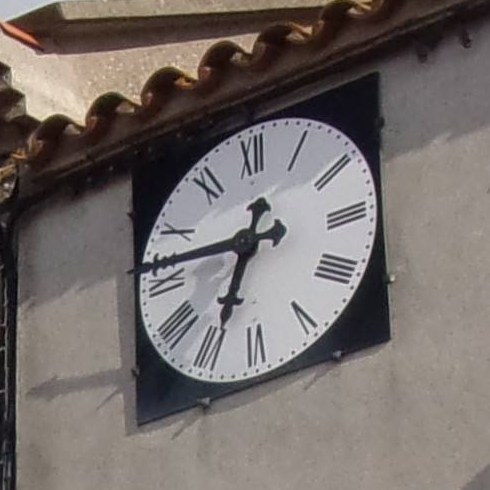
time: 6:46
